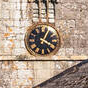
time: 4:04
